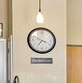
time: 7:19
